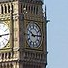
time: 10:14
